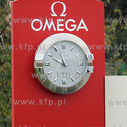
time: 9:57
